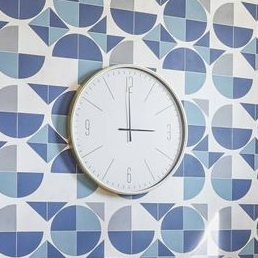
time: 2:59
